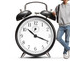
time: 10:19
